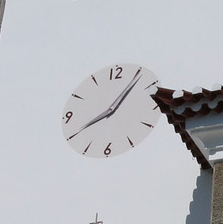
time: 8:06
